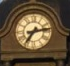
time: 7:13
